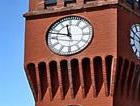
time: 11:47
